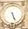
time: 5:26
